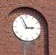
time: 2:56
